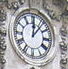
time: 12:06
